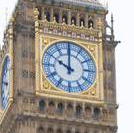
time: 10:00
